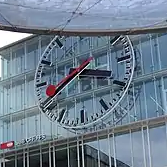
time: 3:40
